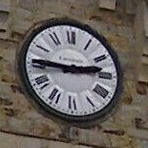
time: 2:45
